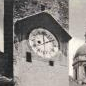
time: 1:59
